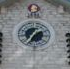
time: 1:35
